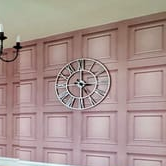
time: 3:29
